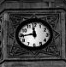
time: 11:44
